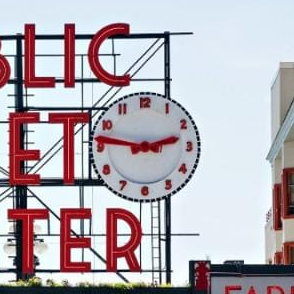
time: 2:46
